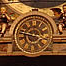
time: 3:46
